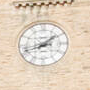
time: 1:42
